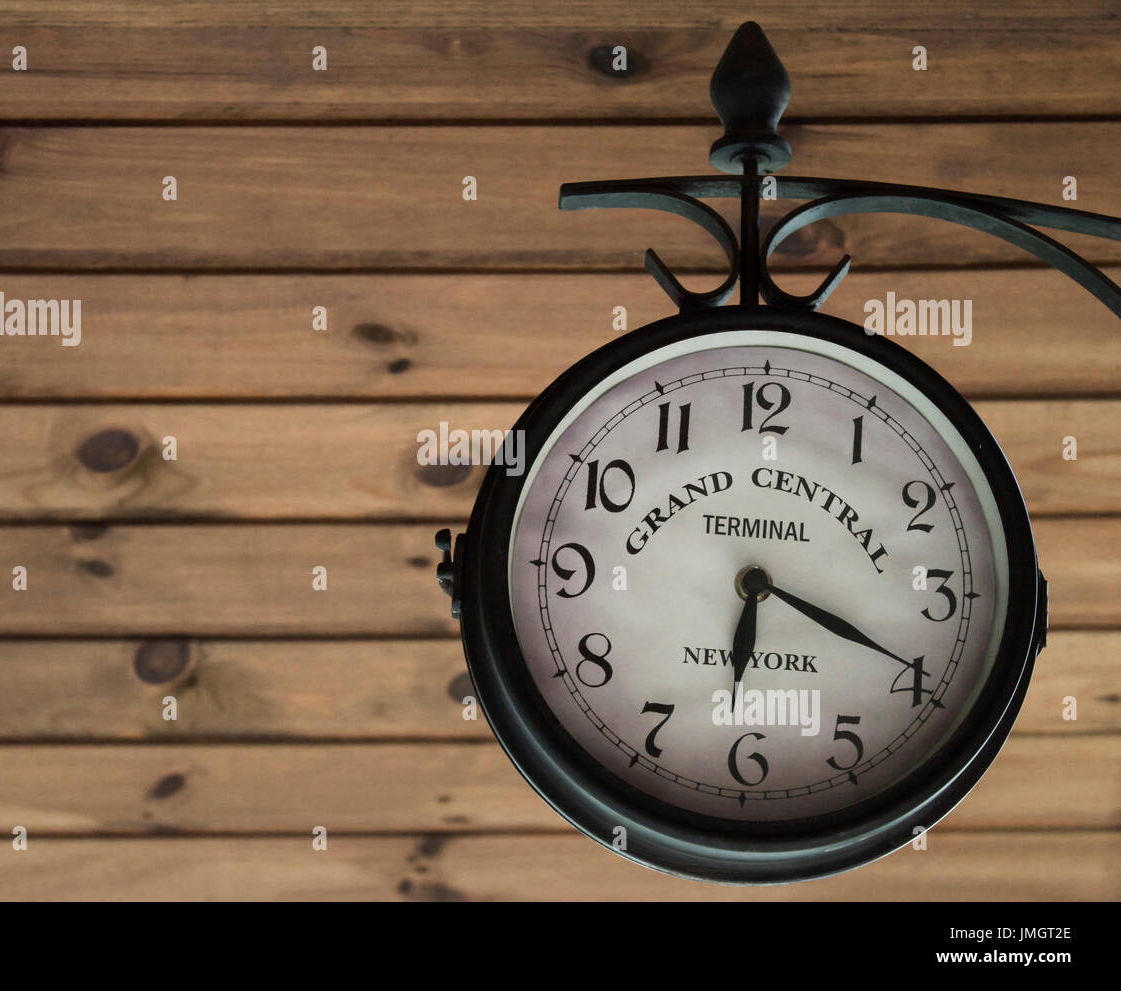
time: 6:19
